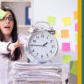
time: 1:45
